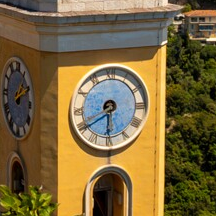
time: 5:40
